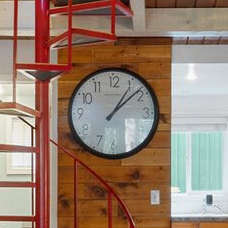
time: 1:08
